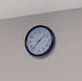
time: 1:36
